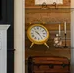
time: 10:24
